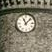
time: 11:07
